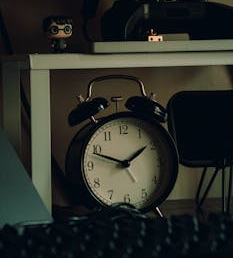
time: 1:48
